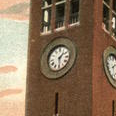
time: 1:28
